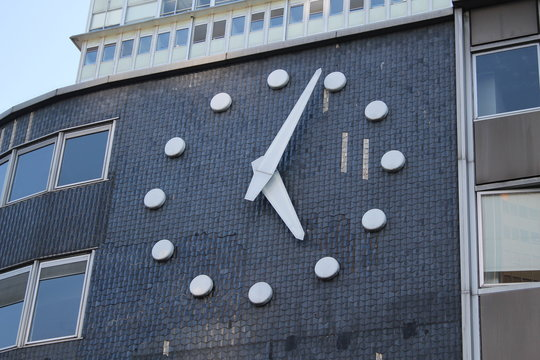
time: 5:03
